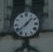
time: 1:38
